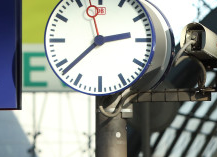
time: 2:38
